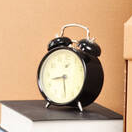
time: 8:28
